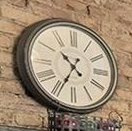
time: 10:34
